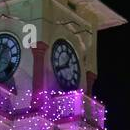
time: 12:40
